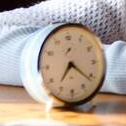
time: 7:21
